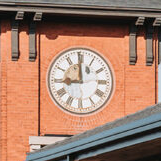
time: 8:59
